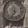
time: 11:35
